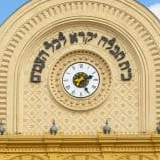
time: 2:24
